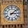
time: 3:08
